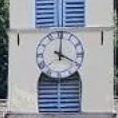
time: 4:00
